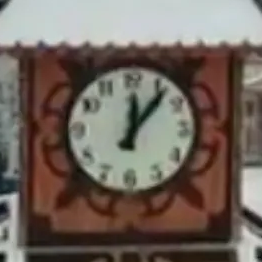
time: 12:06
